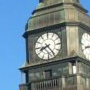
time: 8:24
